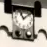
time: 11:07
